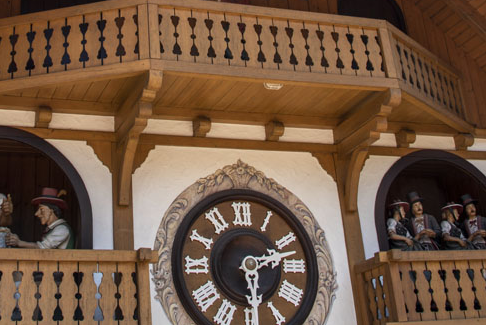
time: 2:29
